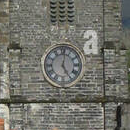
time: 5:01
